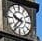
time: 9:36
